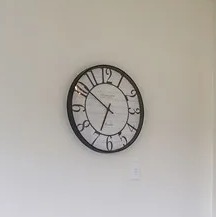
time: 6:51
